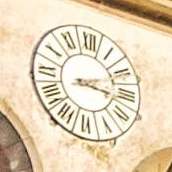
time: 3:11
